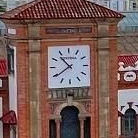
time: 10:39
